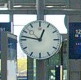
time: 12:46
